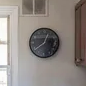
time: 12:38
